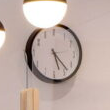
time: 5:23
